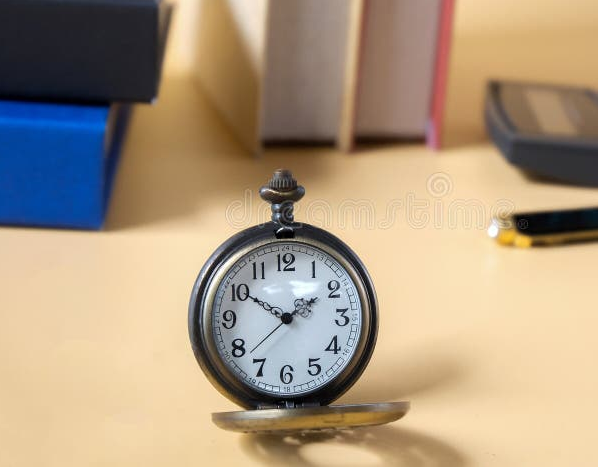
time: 1:50
